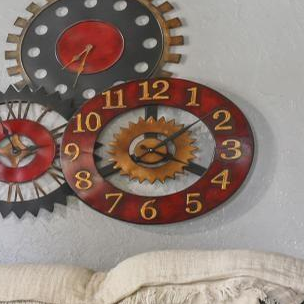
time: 4:07
